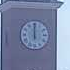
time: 12:00
